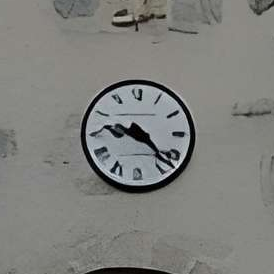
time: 9:22
